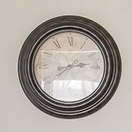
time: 2:38
